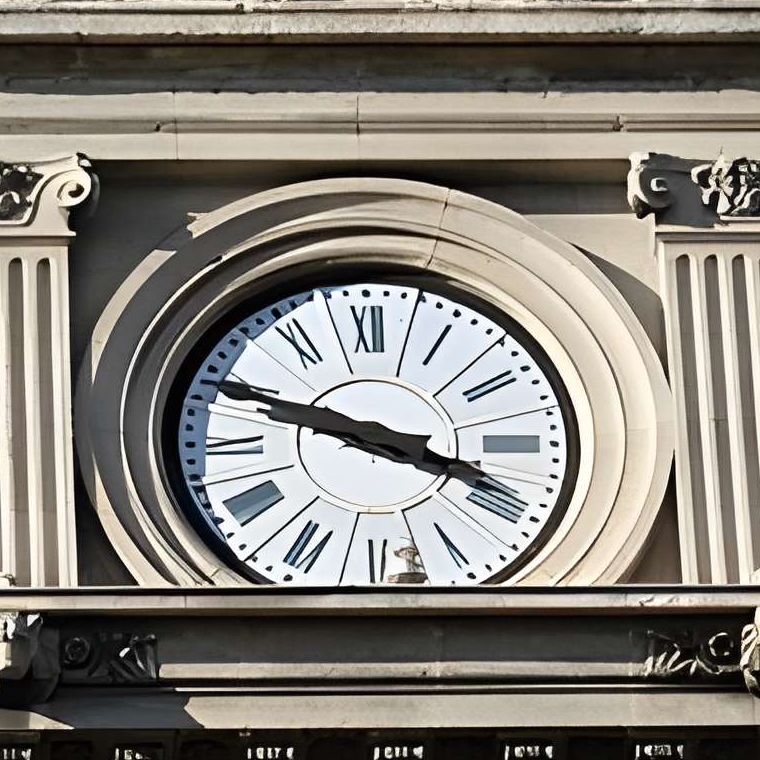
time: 3:48
